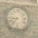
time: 8:36
